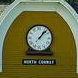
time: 1:07
